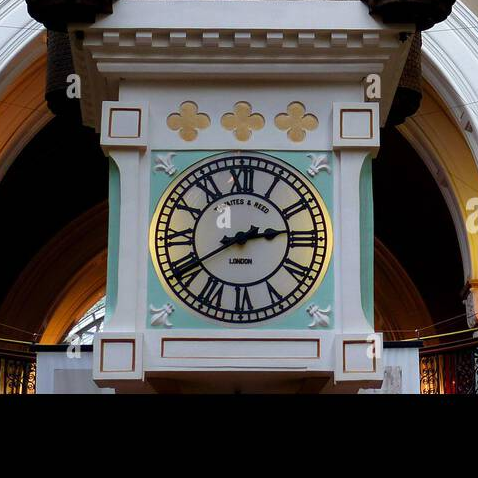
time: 2:40
